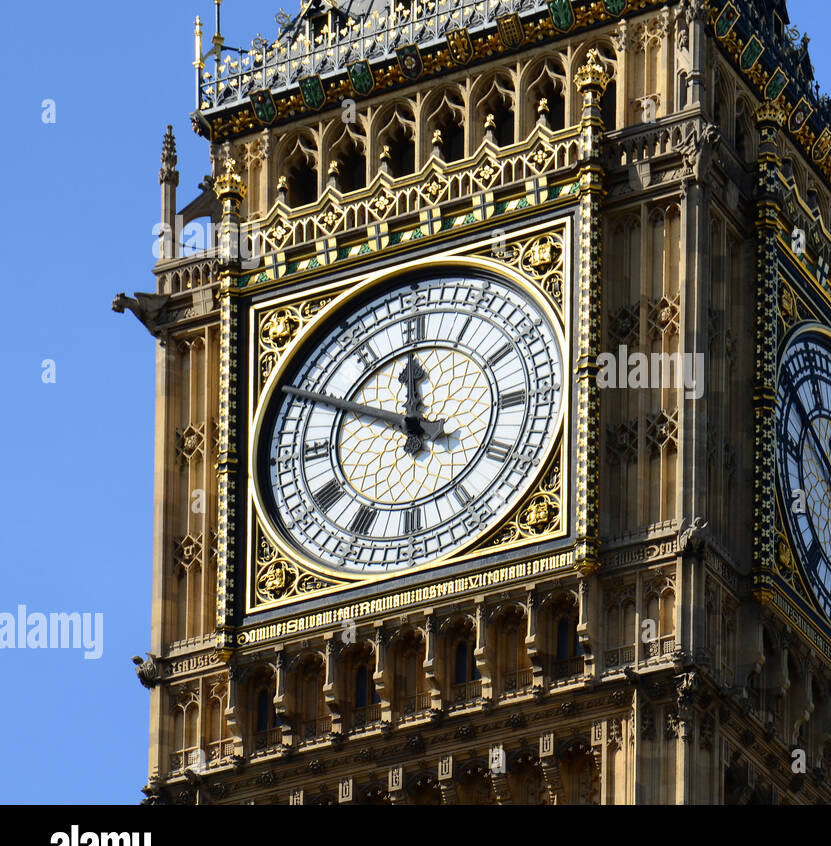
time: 11:49
